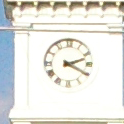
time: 2:19
